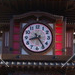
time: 8:24
